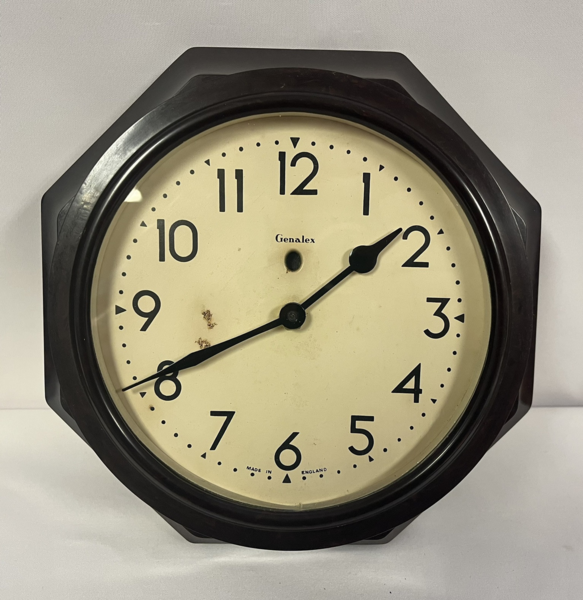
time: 1:40
